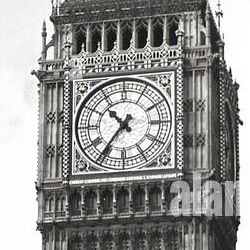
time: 10:36
